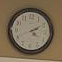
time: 4:10
